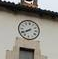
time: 7:40
